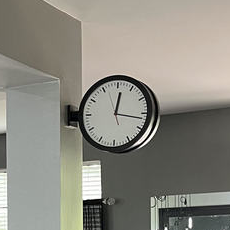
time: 12:16
